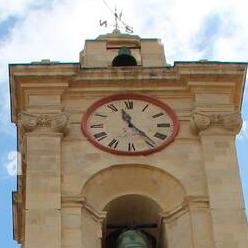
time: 11:23
